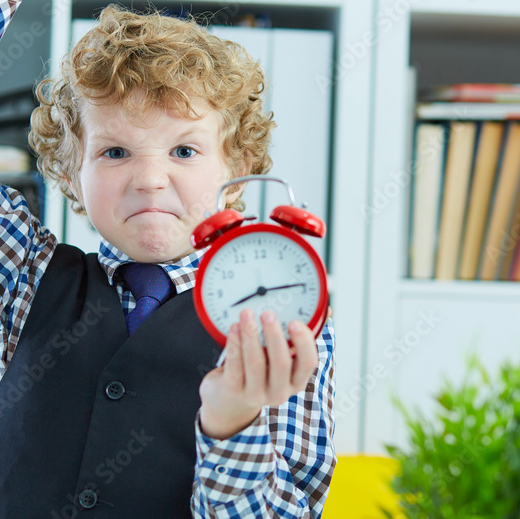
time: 8:13
